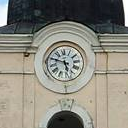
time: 5:48
